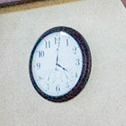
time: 4:00
